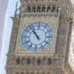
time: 10:53
